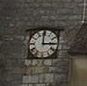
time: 2:59
